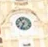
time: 6:56
